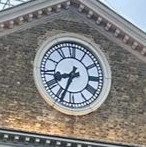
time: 8:34
